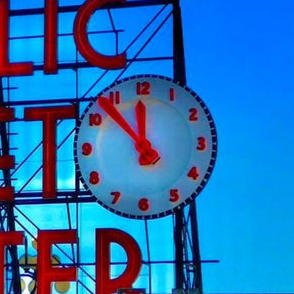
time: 11:52
